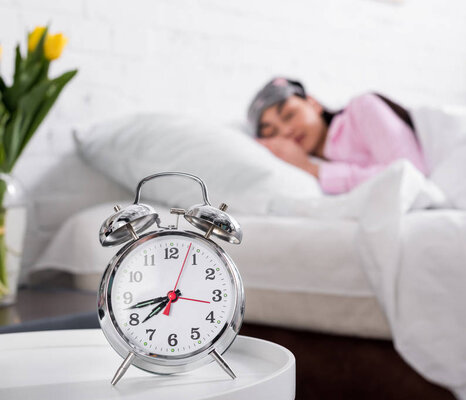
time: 7:42
